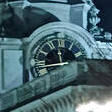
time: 11:43
